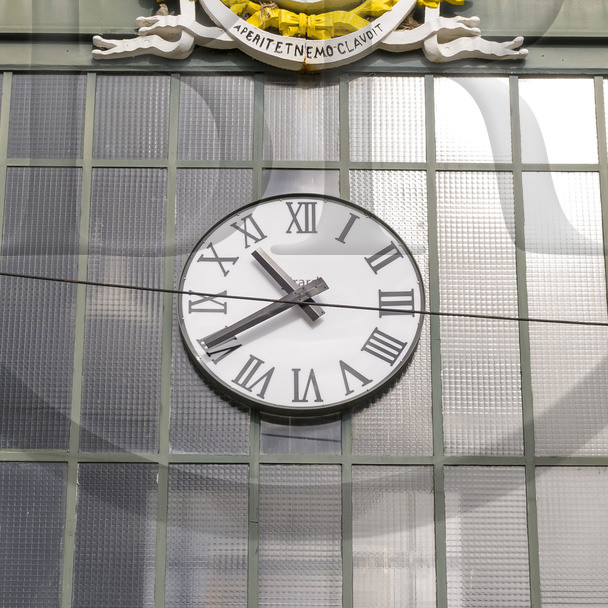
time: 10:40
